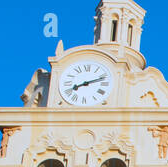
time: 8:11
